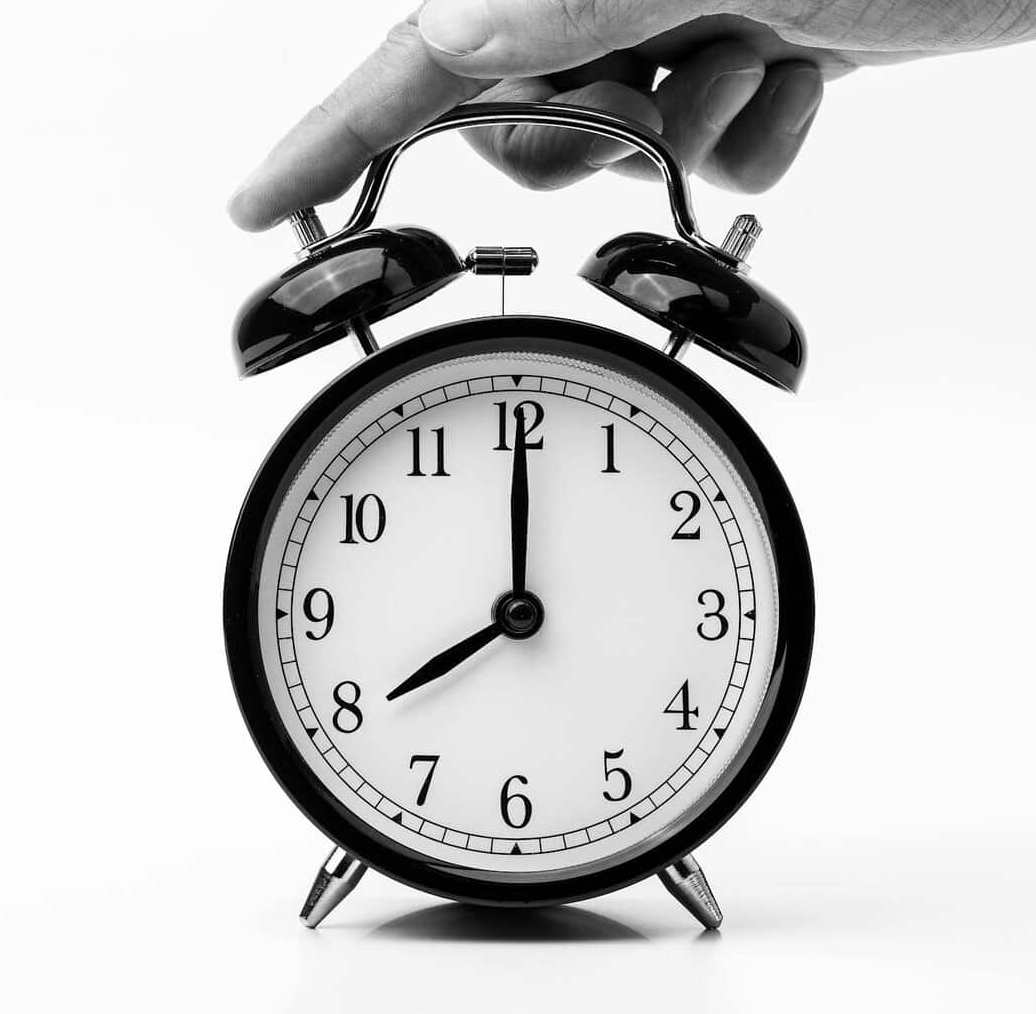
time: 8:00
